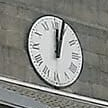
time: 12:03
